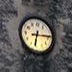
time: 6:13
